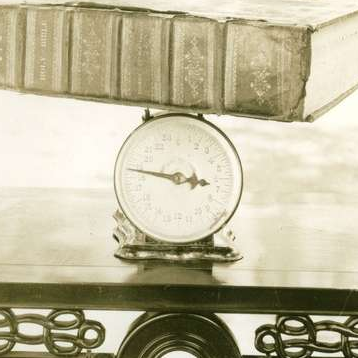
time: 2:46
